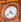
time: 4:37
